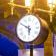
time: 5:49
